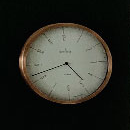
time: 4:41
